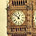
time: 12:52
